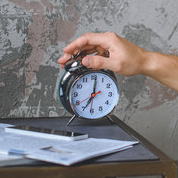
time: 7:01
